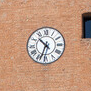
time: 10:33
